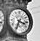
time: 3:34
